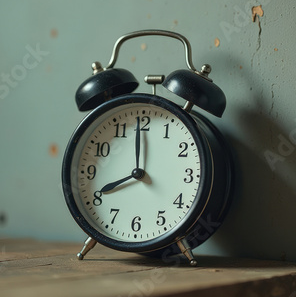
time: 7:59
